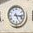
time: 5:16
